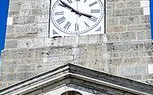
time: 3:51
